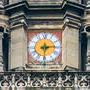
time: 6:14
